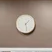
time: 1:28
